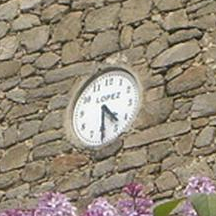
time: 4:29
